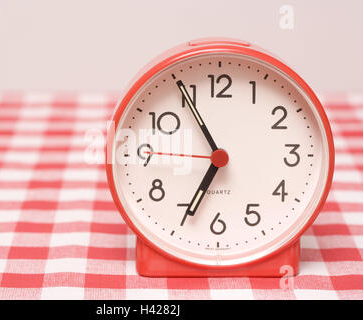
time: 6:54
